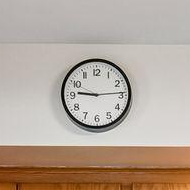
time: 9:14
